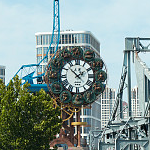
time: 1:52
